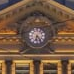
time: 6:23
